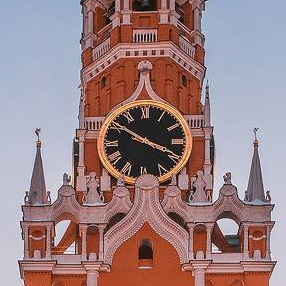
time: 3:50
